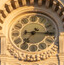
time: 7:15
